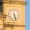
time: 5:26
